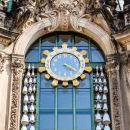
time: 4:20
